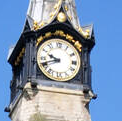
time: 9:41
